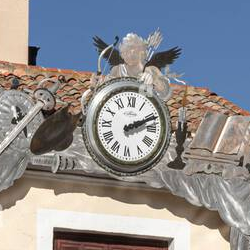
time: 2:11
